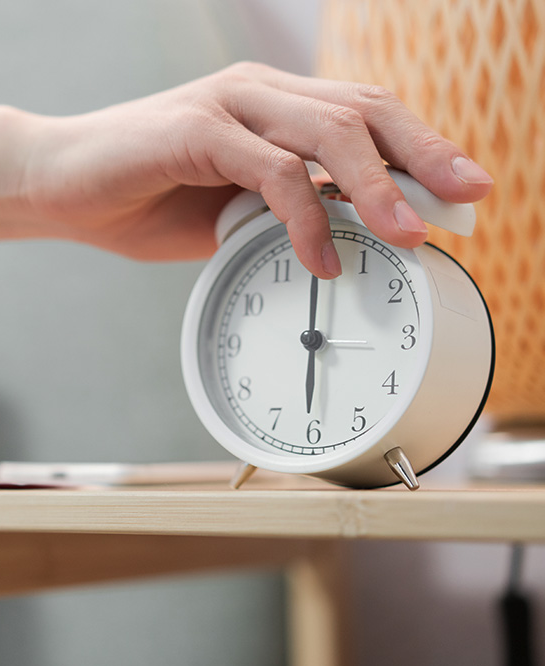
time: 6:00
